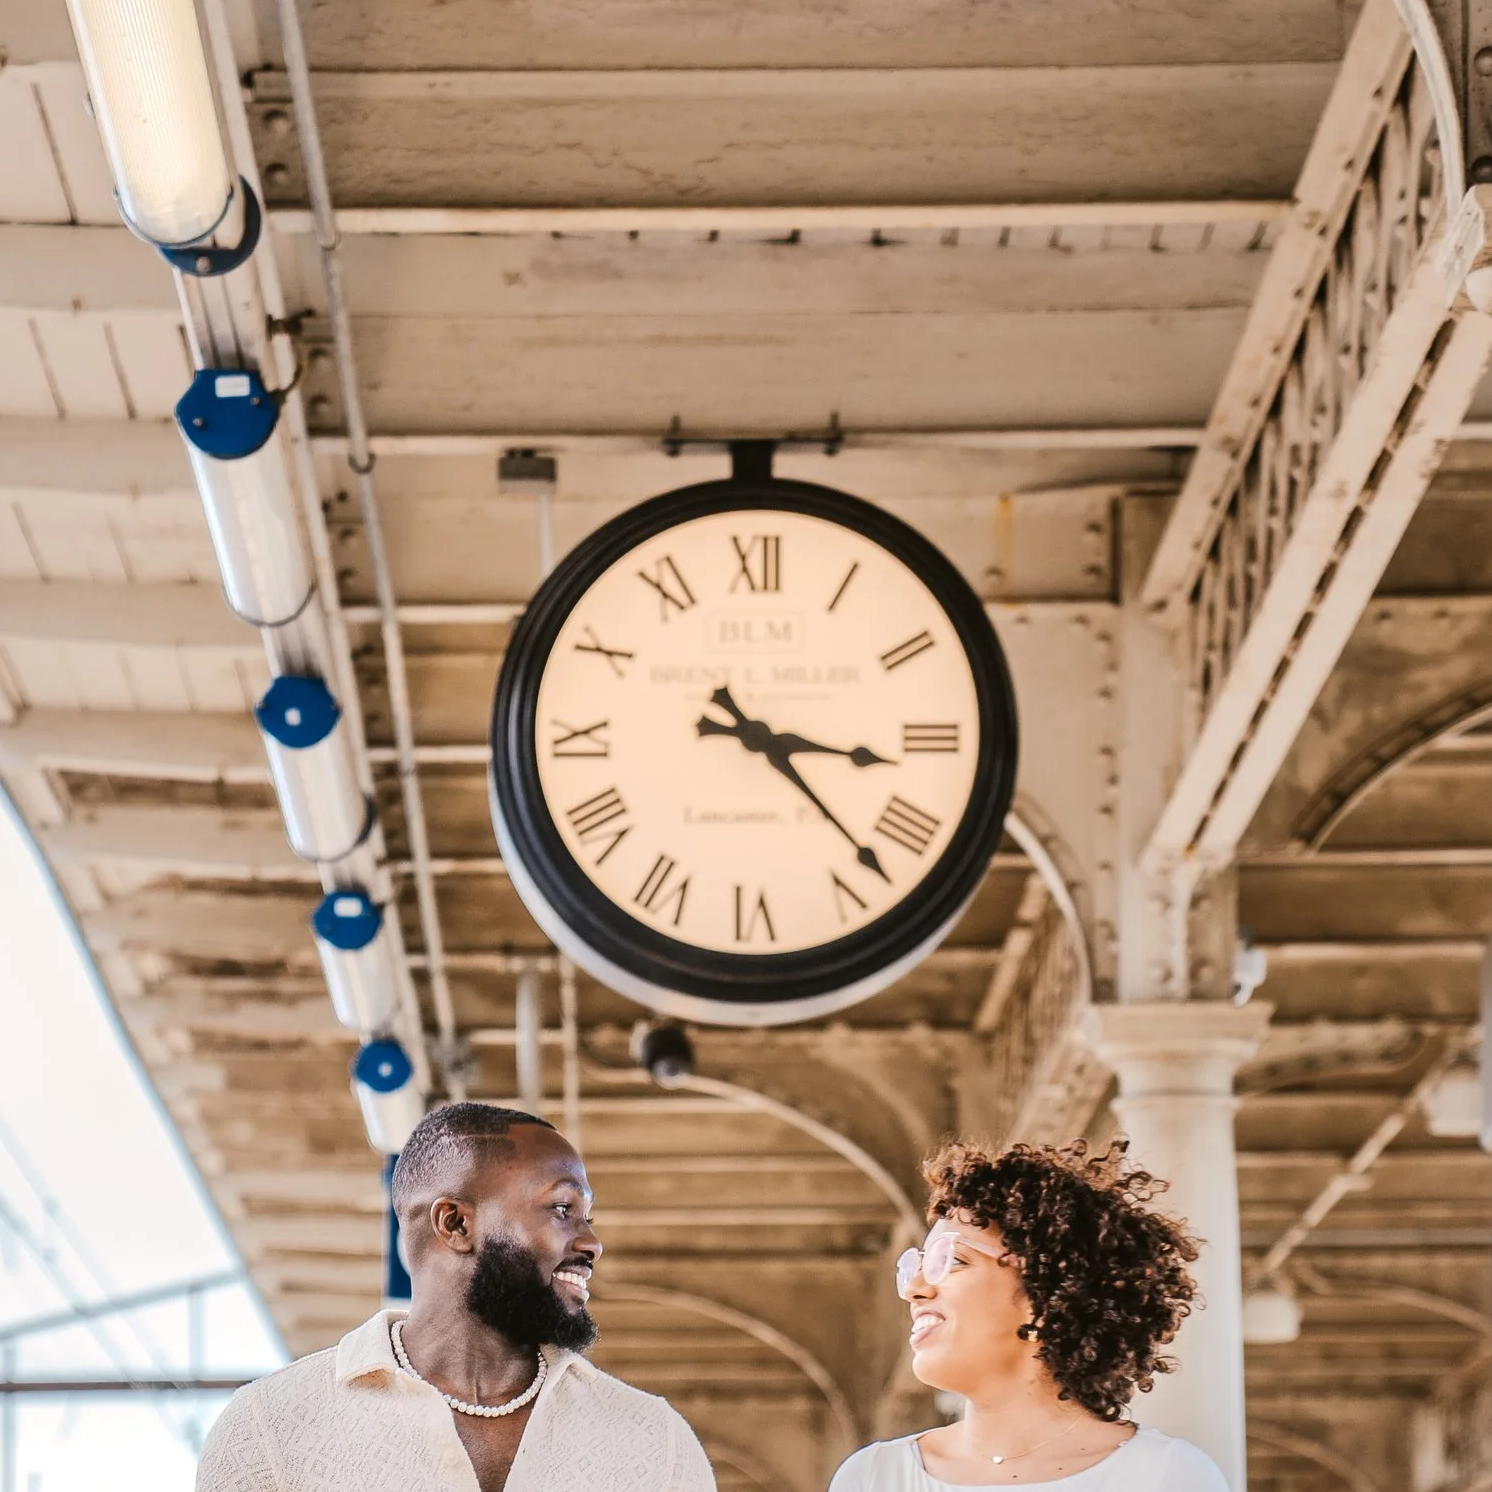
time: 3:22
